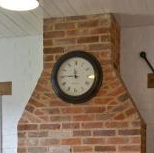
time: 11:45
